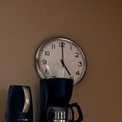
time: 5:00
